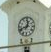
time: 12:41
